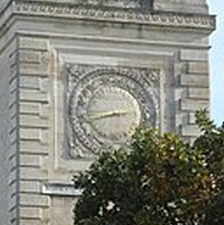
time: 2:42
